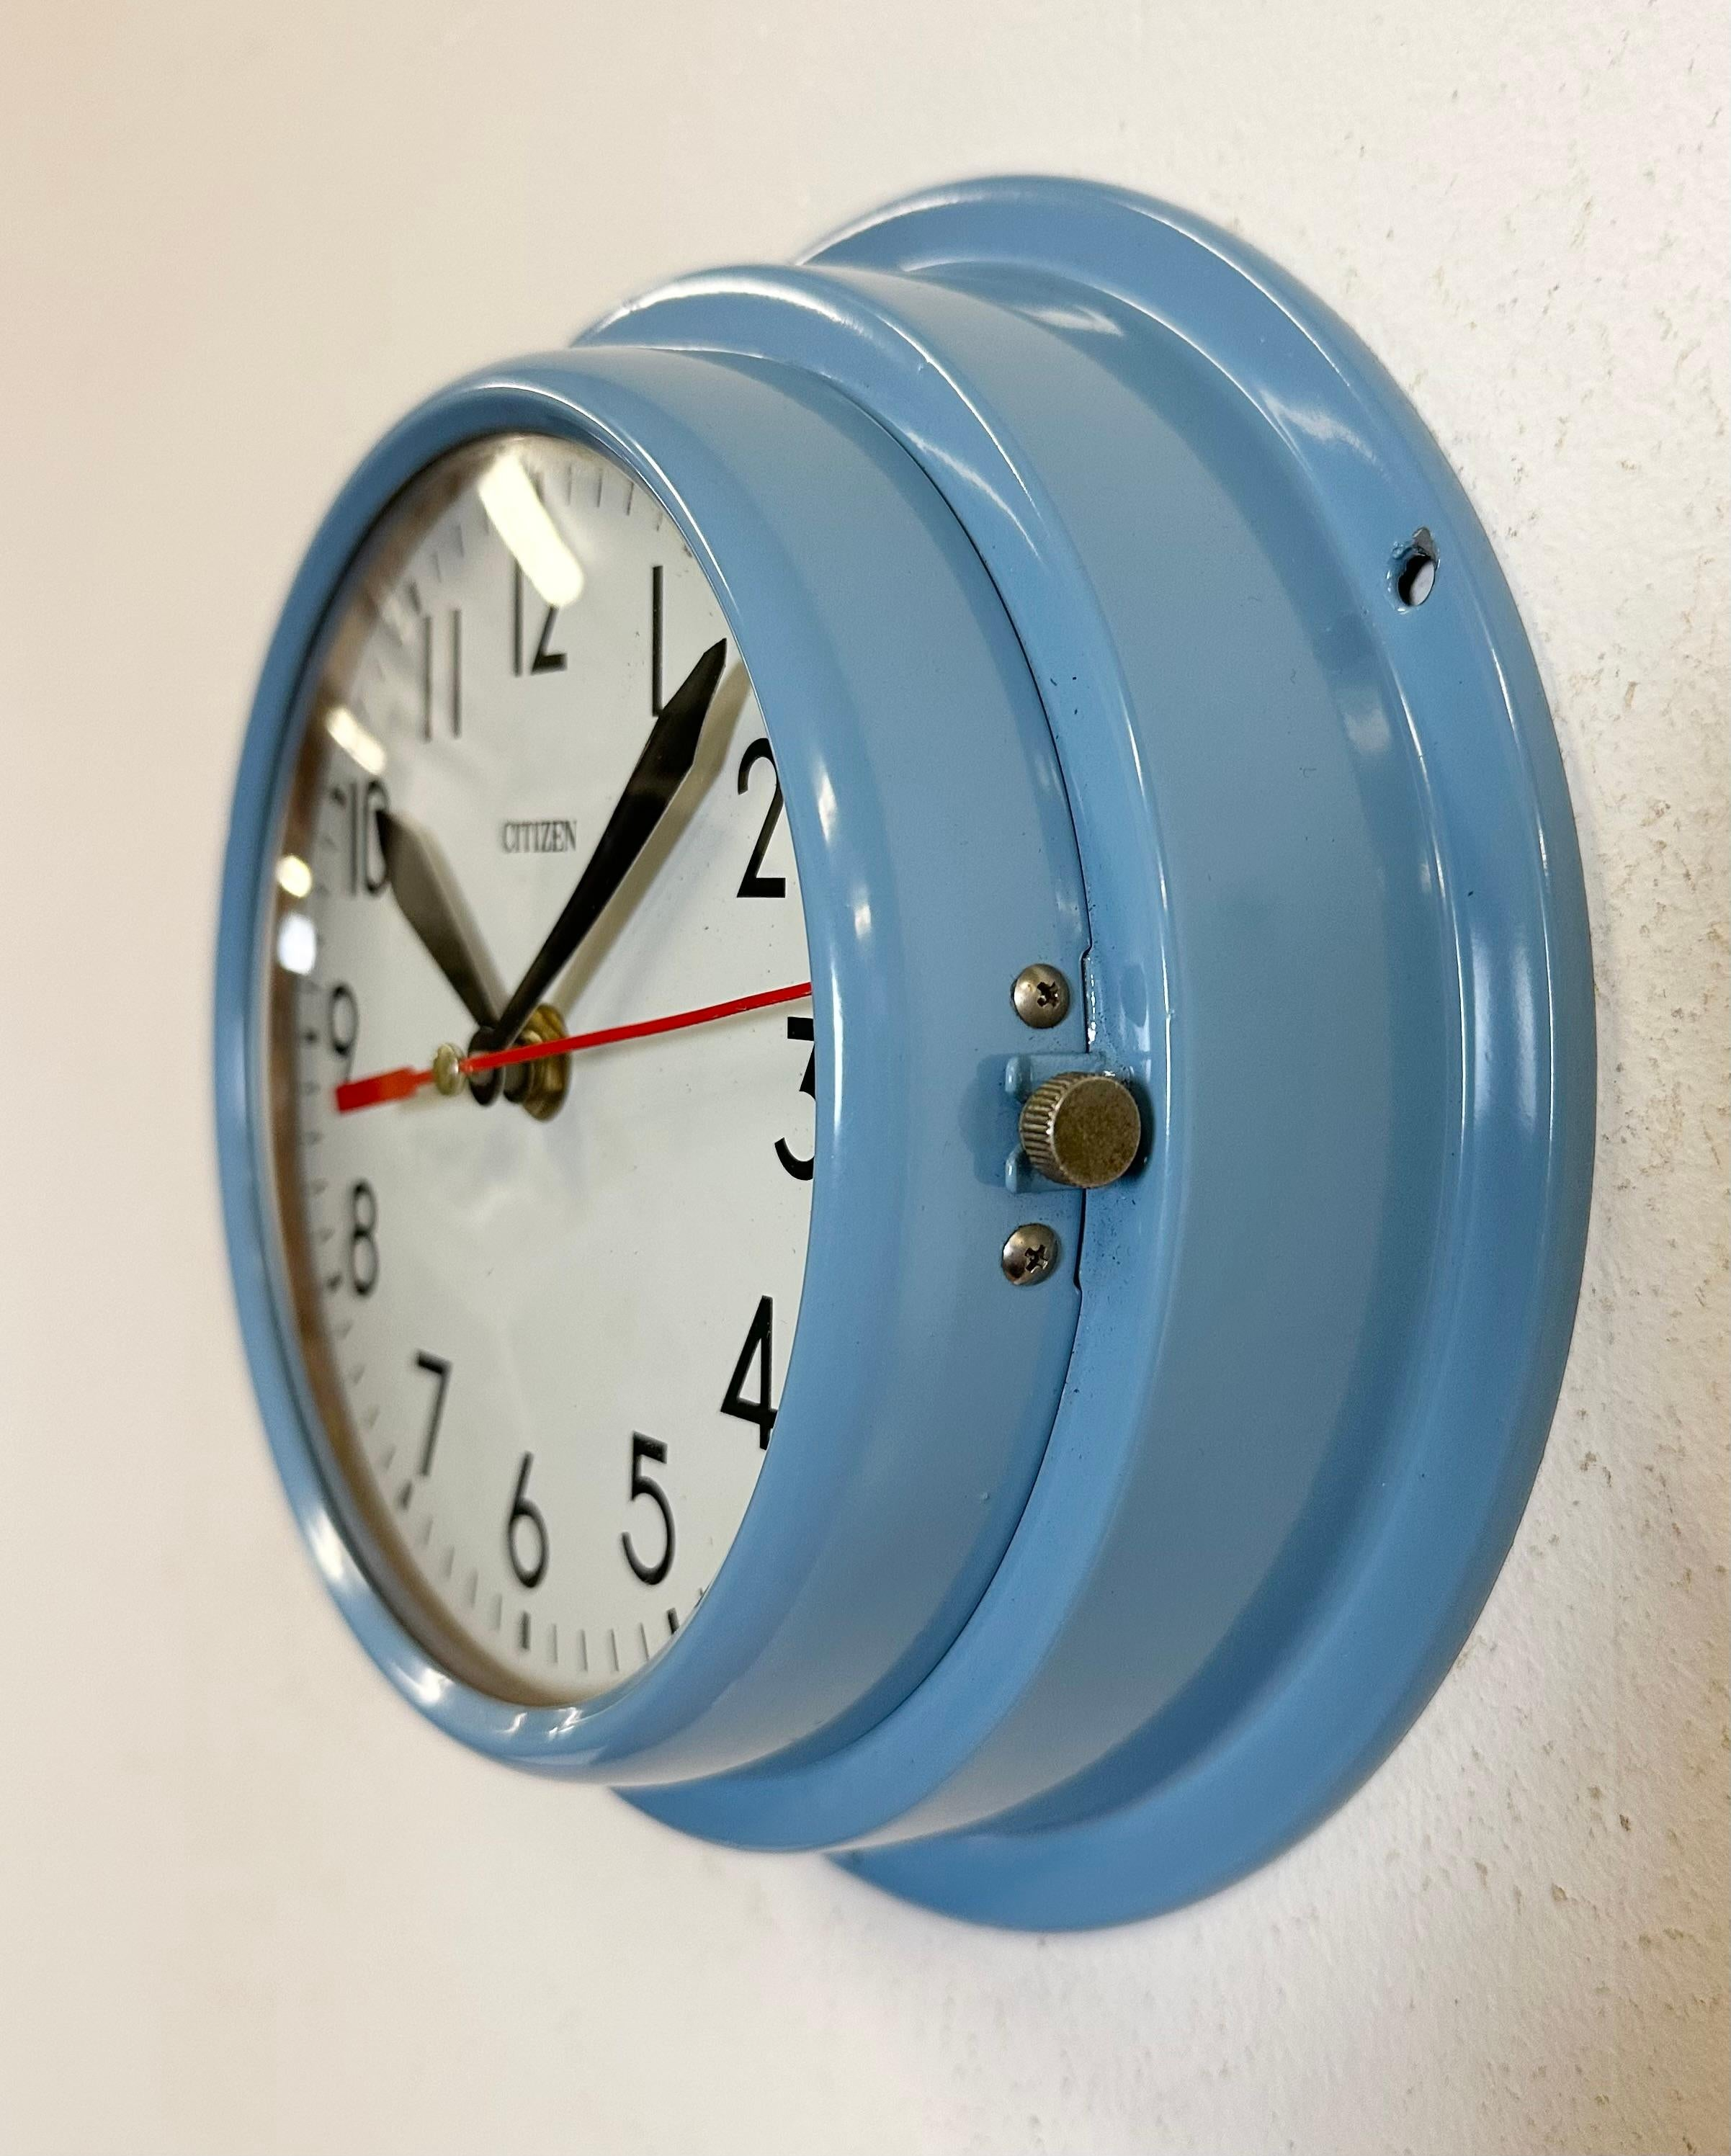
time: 10:07
